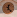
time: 12:23
